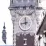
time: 11:42
